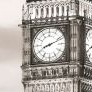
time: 8:11
